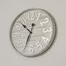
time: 10:34
